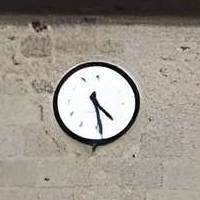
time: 4:28
